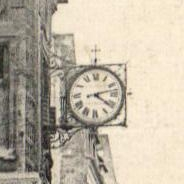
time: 4:12
